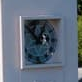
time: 12:52
